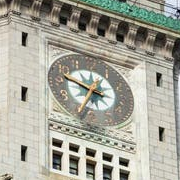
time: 12:47
